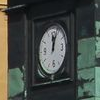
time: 12:03
